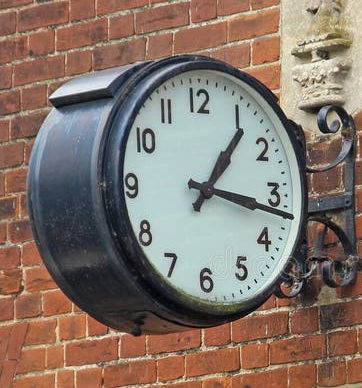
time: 1:16
